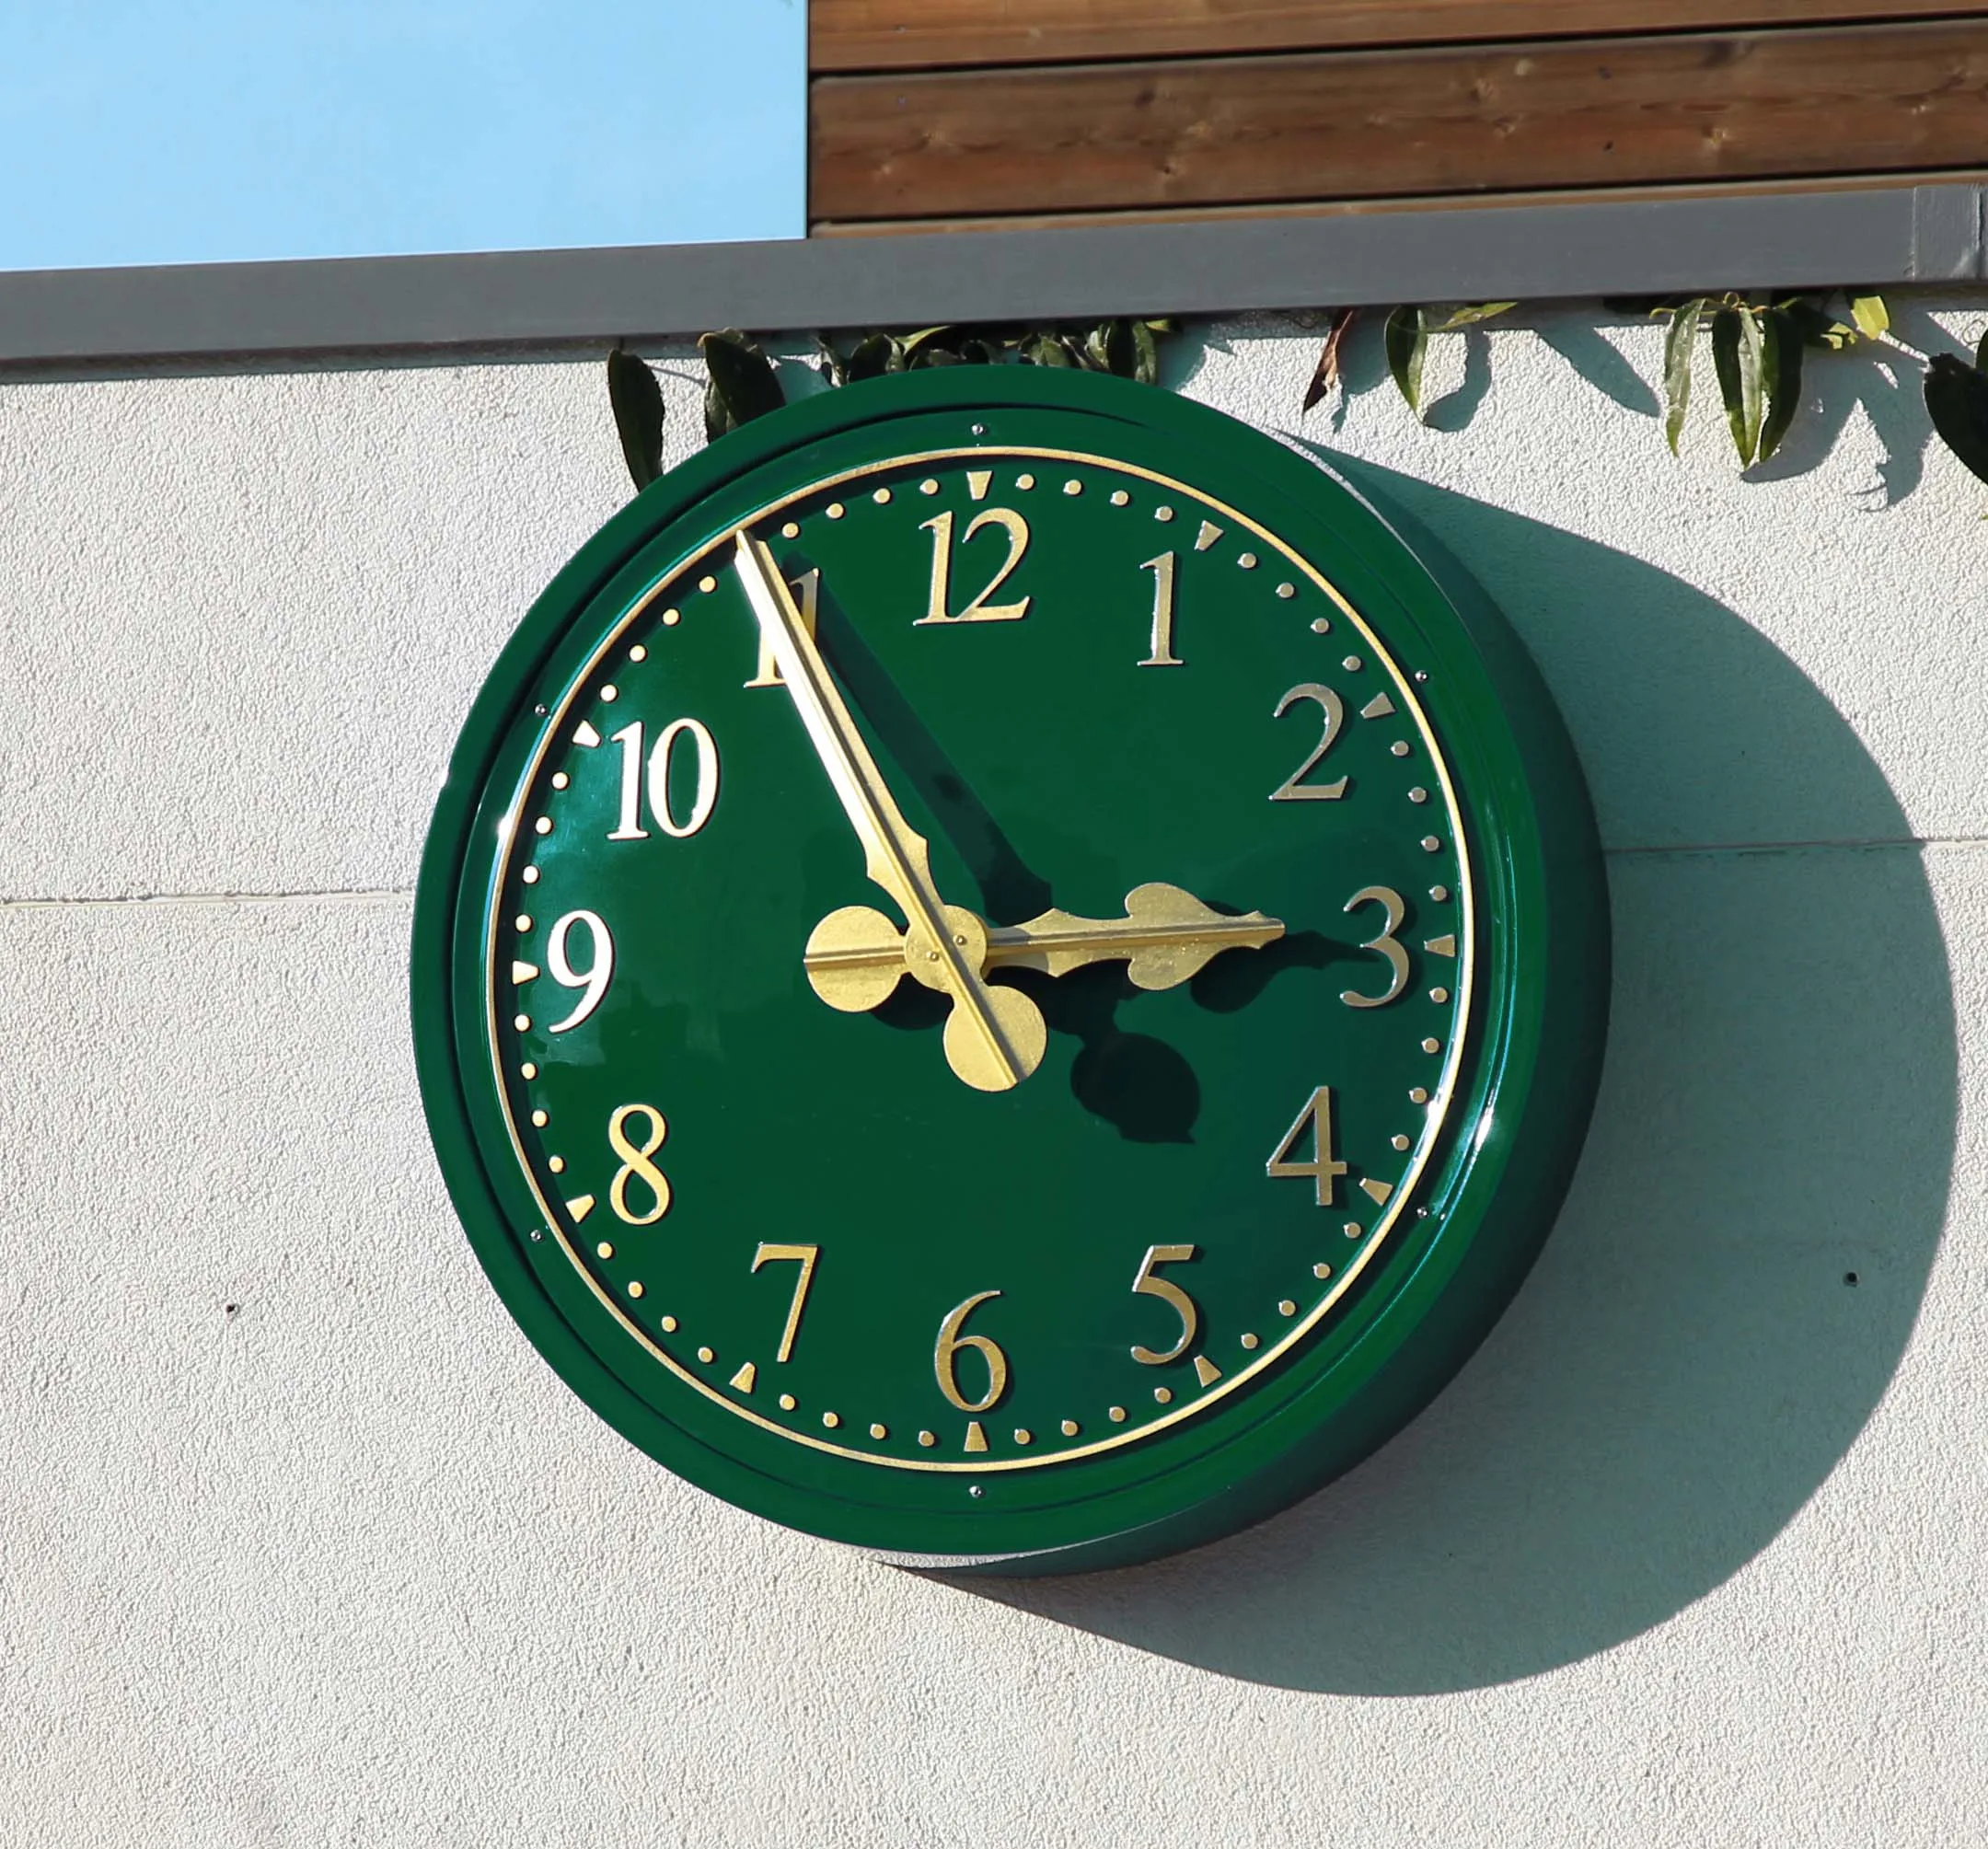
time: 2:55
